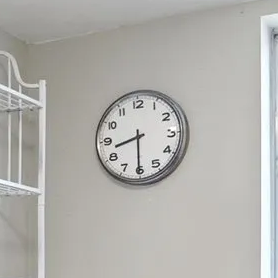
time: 8:30
